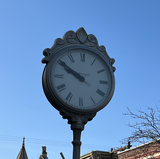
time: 9:50
